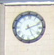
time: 5:11
